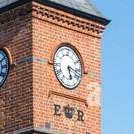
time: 5:18
